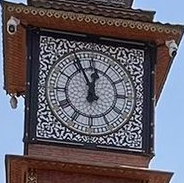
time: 11:55
